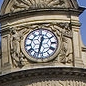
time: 12:32
